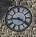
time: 9:20
